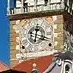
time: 12:17
